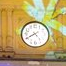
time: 4:40
